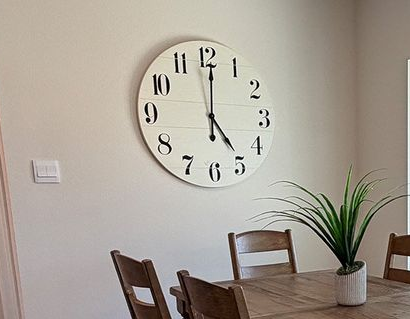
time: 5:00
